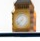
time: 7:37
